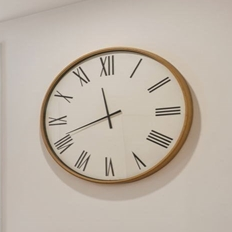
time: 11:41
